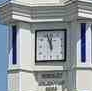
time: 11:56
